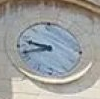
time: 9:42
